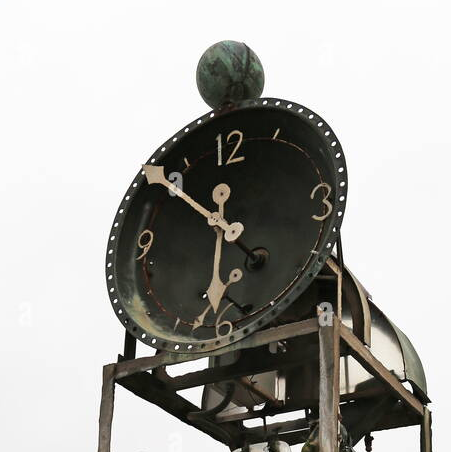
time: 5:51
